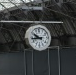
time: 9:43
